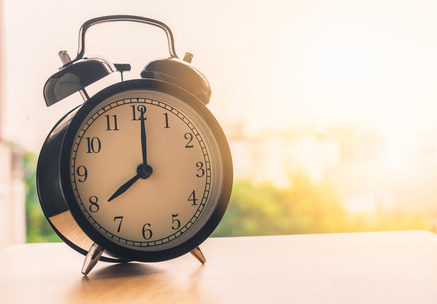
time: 8:00
